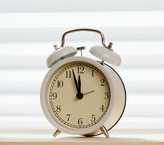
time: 11:57
